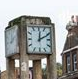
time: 12:10
